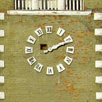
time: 2:11
